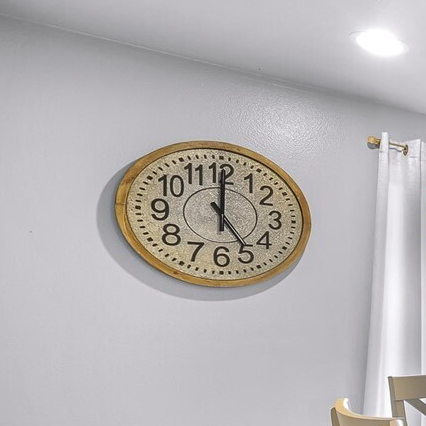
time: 5:00
